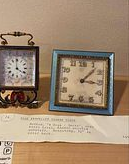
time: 3:07
